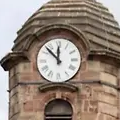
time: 11:52
